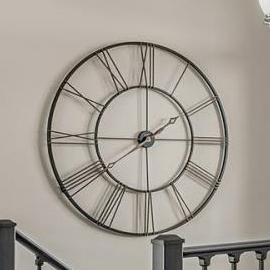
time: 2:00
